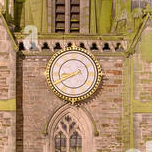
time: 8:40
